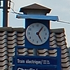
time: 5:06
